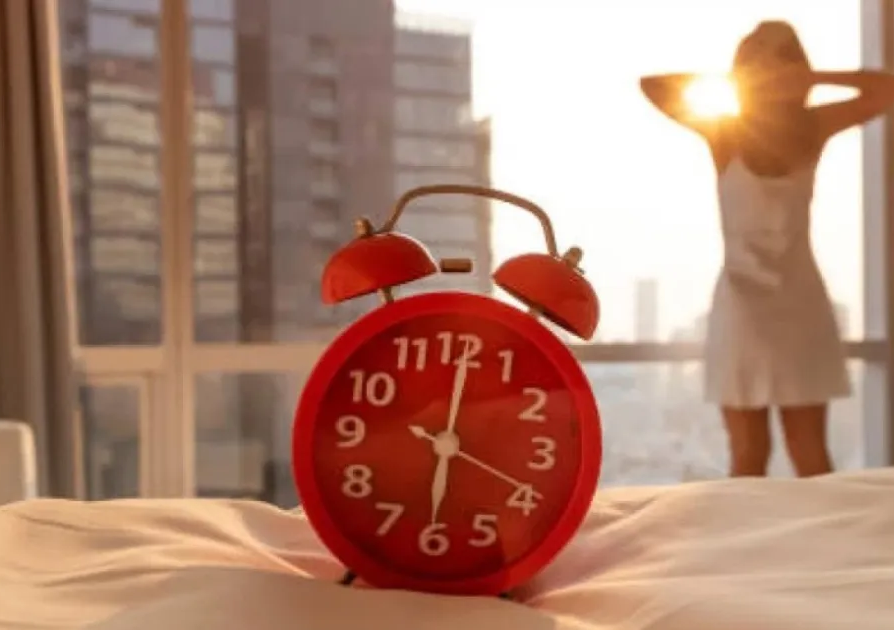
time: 6:01
